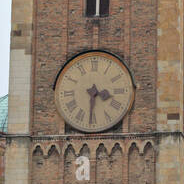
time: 3:31
